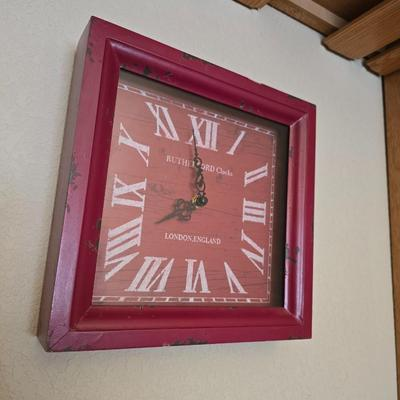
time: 7:58
